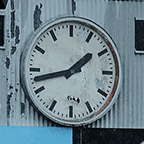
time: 1:42
